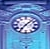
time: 7:07
